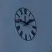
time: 1:46
